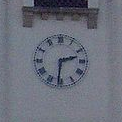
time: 2:31
